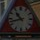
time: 10:42
